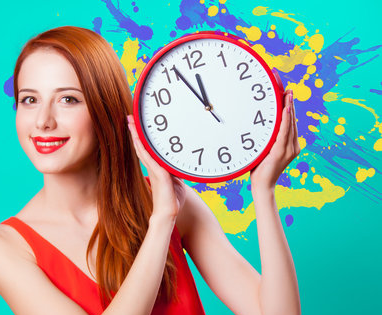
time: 11:55
